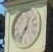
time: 12:36
